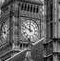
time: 11:48
